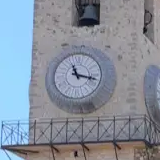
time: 11:17
